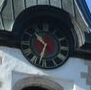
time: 10:32
